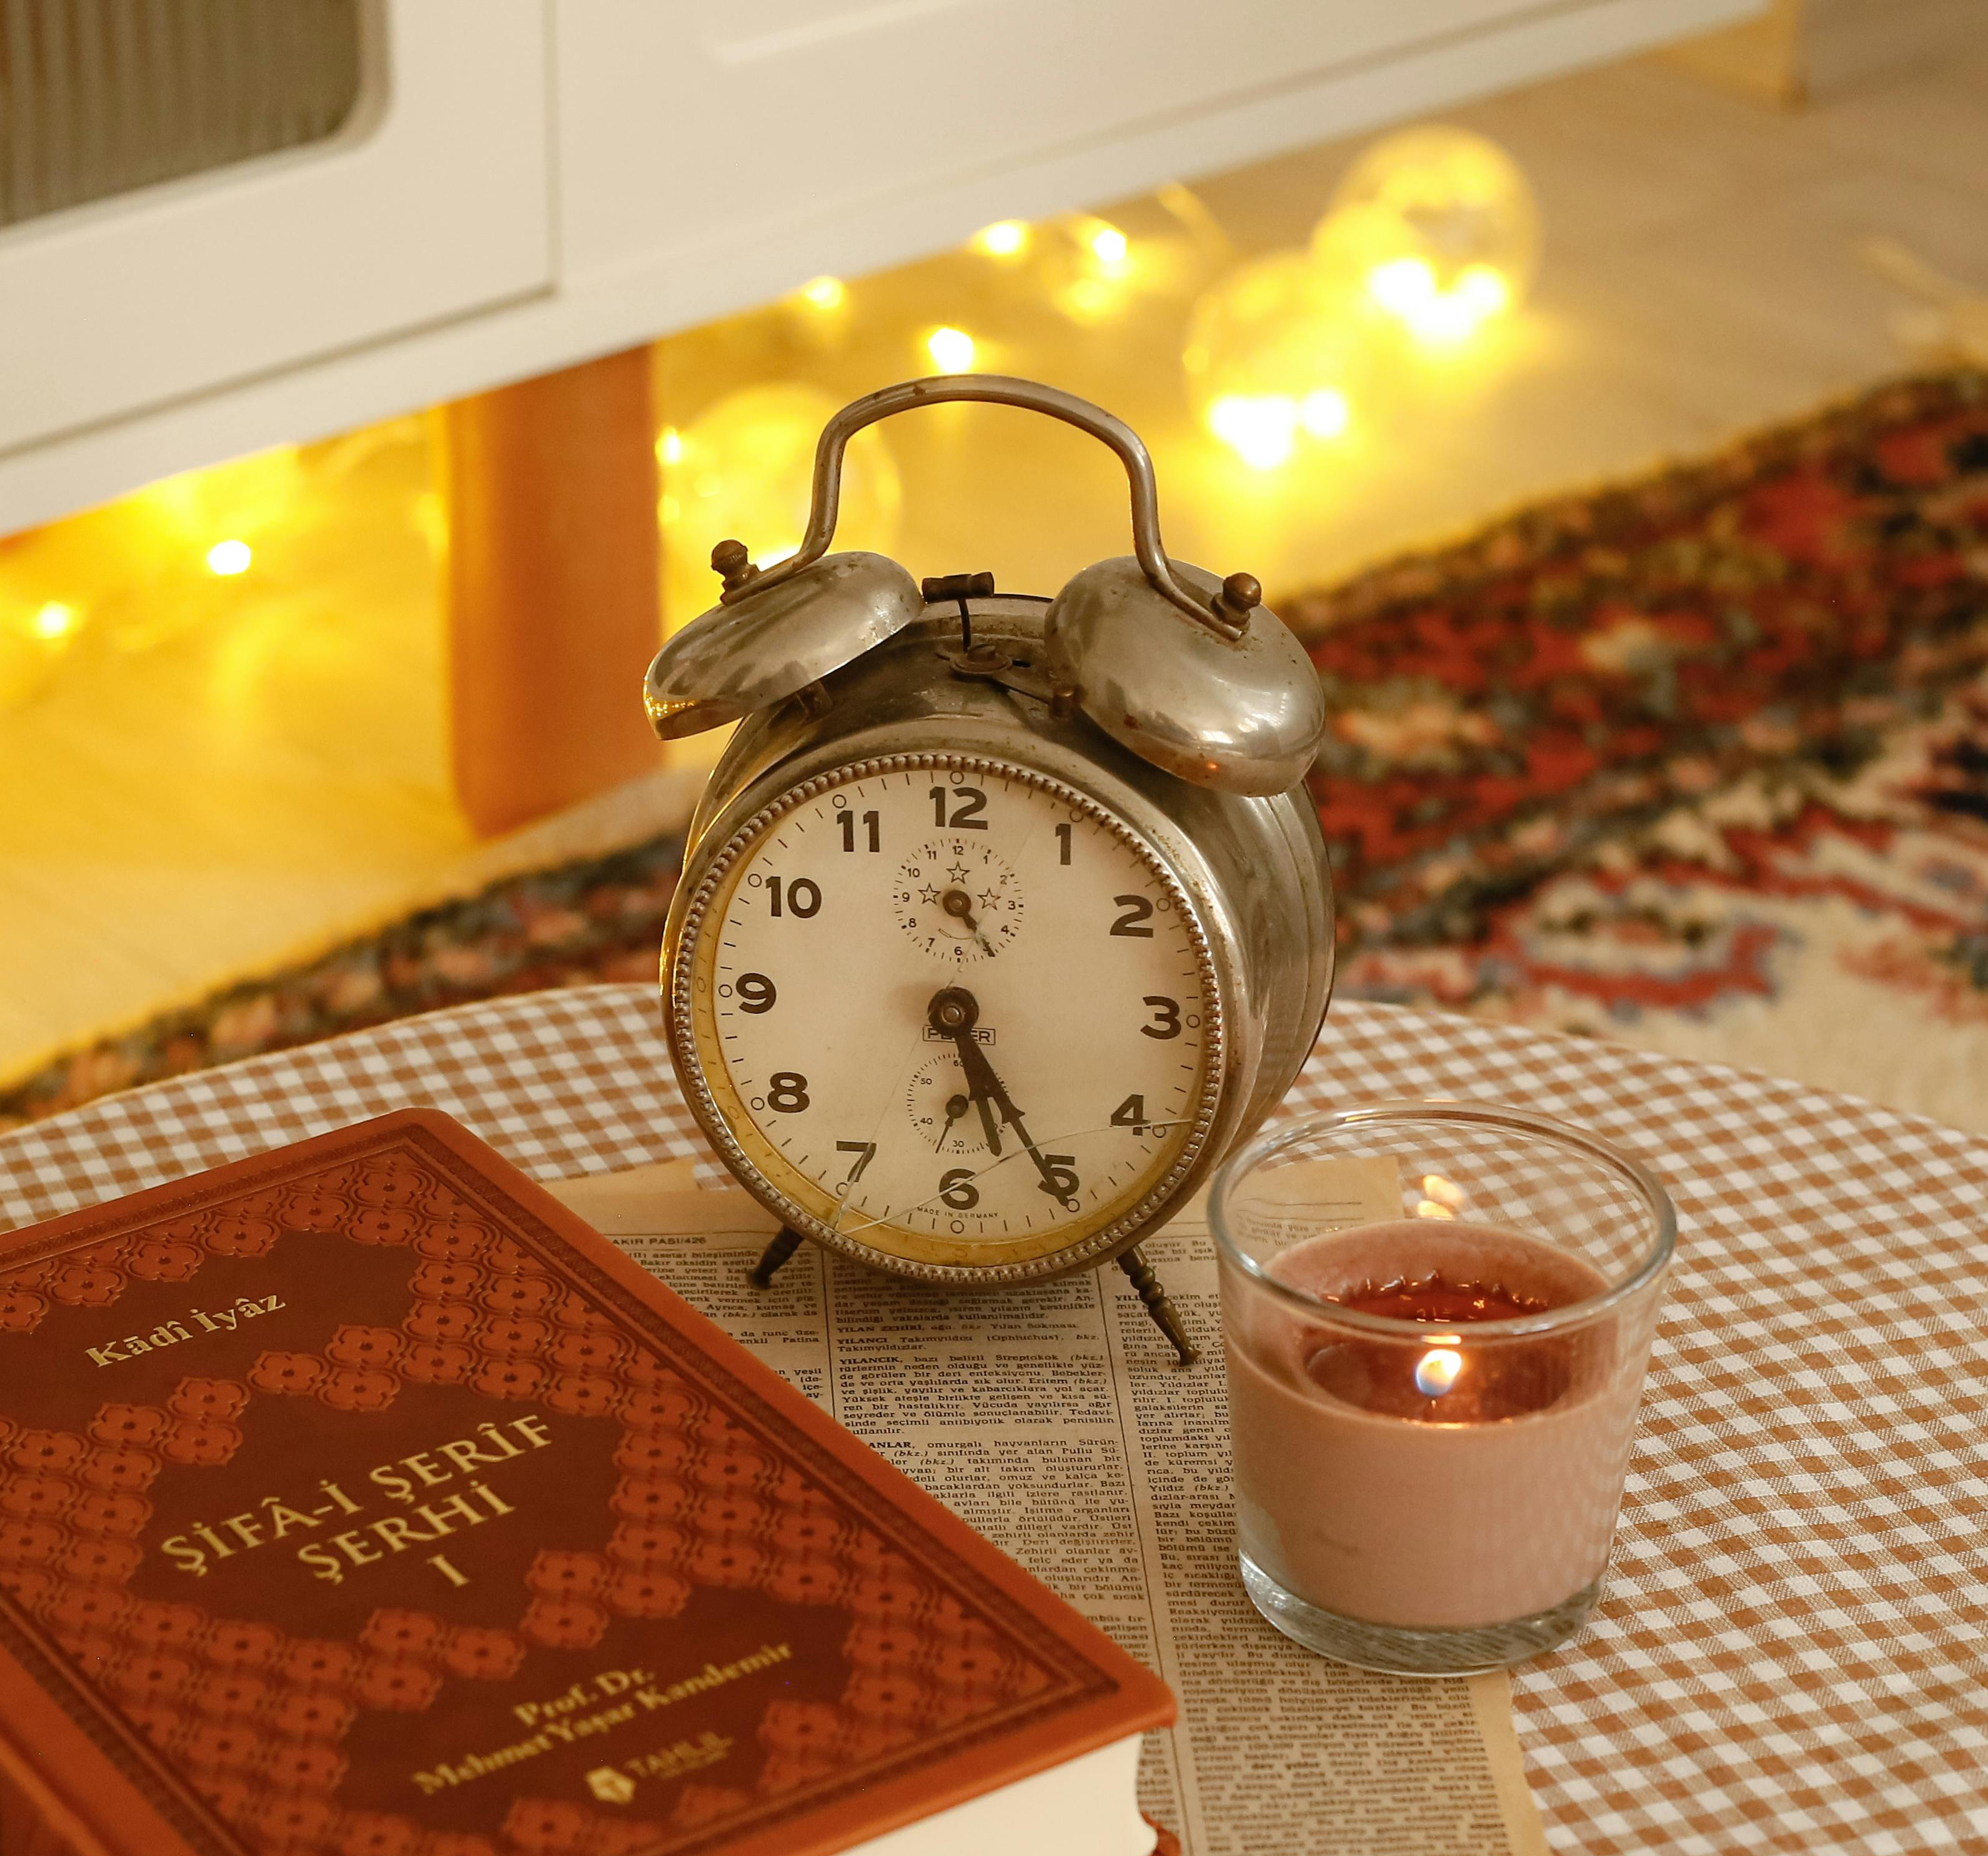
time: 5:24
